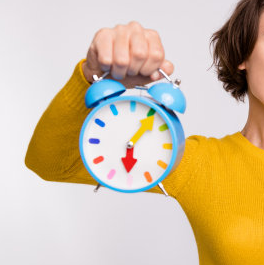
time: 6:06
